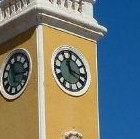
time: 11:16
